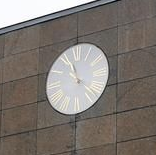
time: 11:22
